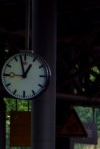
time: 12:57
